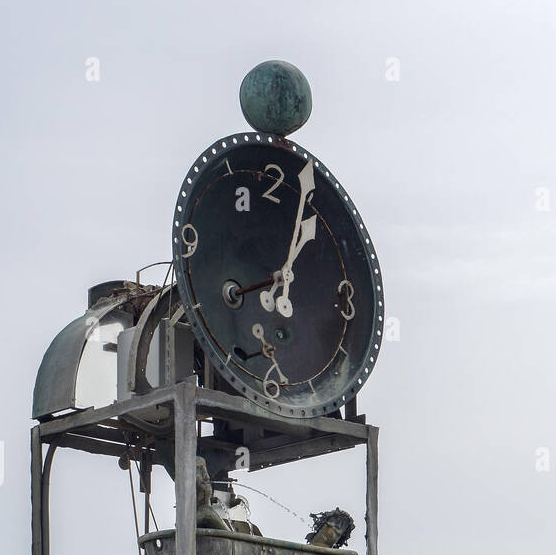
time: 1:03
